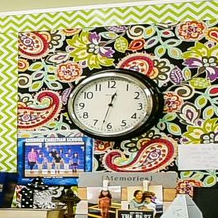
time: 12:32
